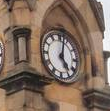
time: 5:02
